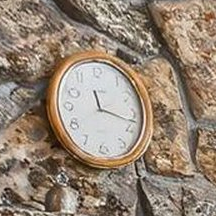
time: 11:17
